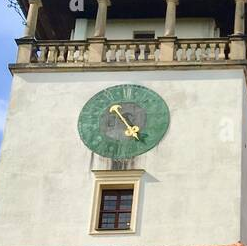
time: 4:54
